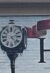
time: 4:12
